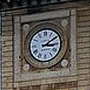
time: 3:09
